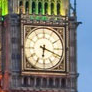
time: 6:18
